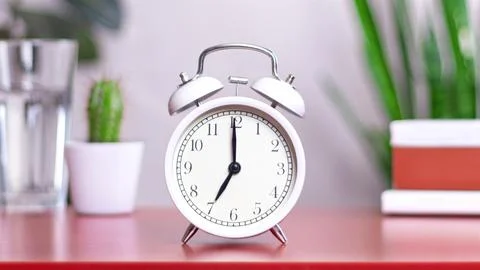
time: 7:00
